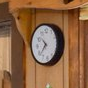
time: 10:37
